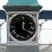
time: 12:20
